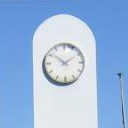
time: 1:51
